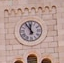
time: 11:54
